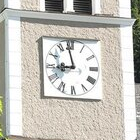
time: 8:58
